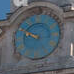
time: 9:50
